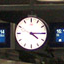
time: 4:14
